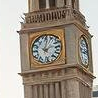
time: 2:02
